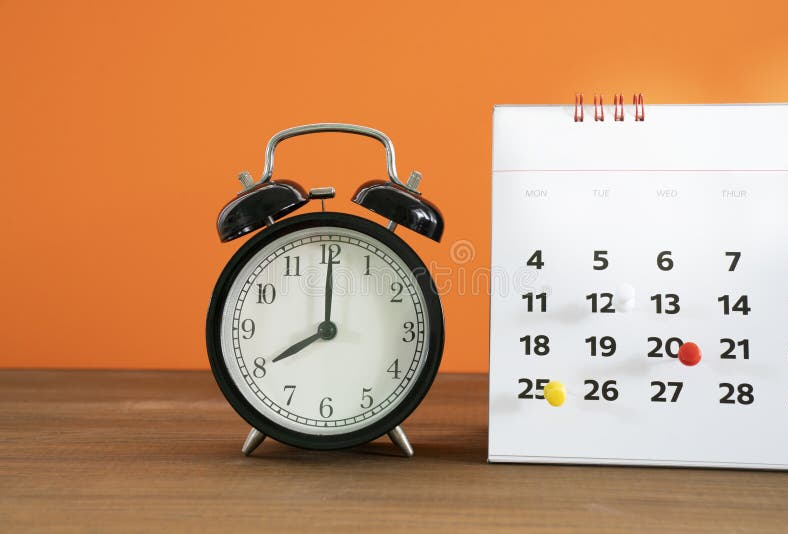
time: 8:00
